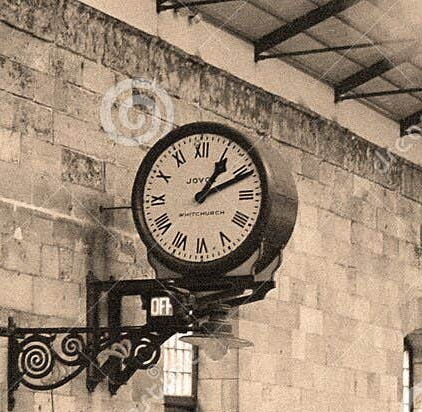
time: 1:11
